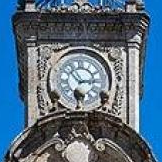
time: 2:53
